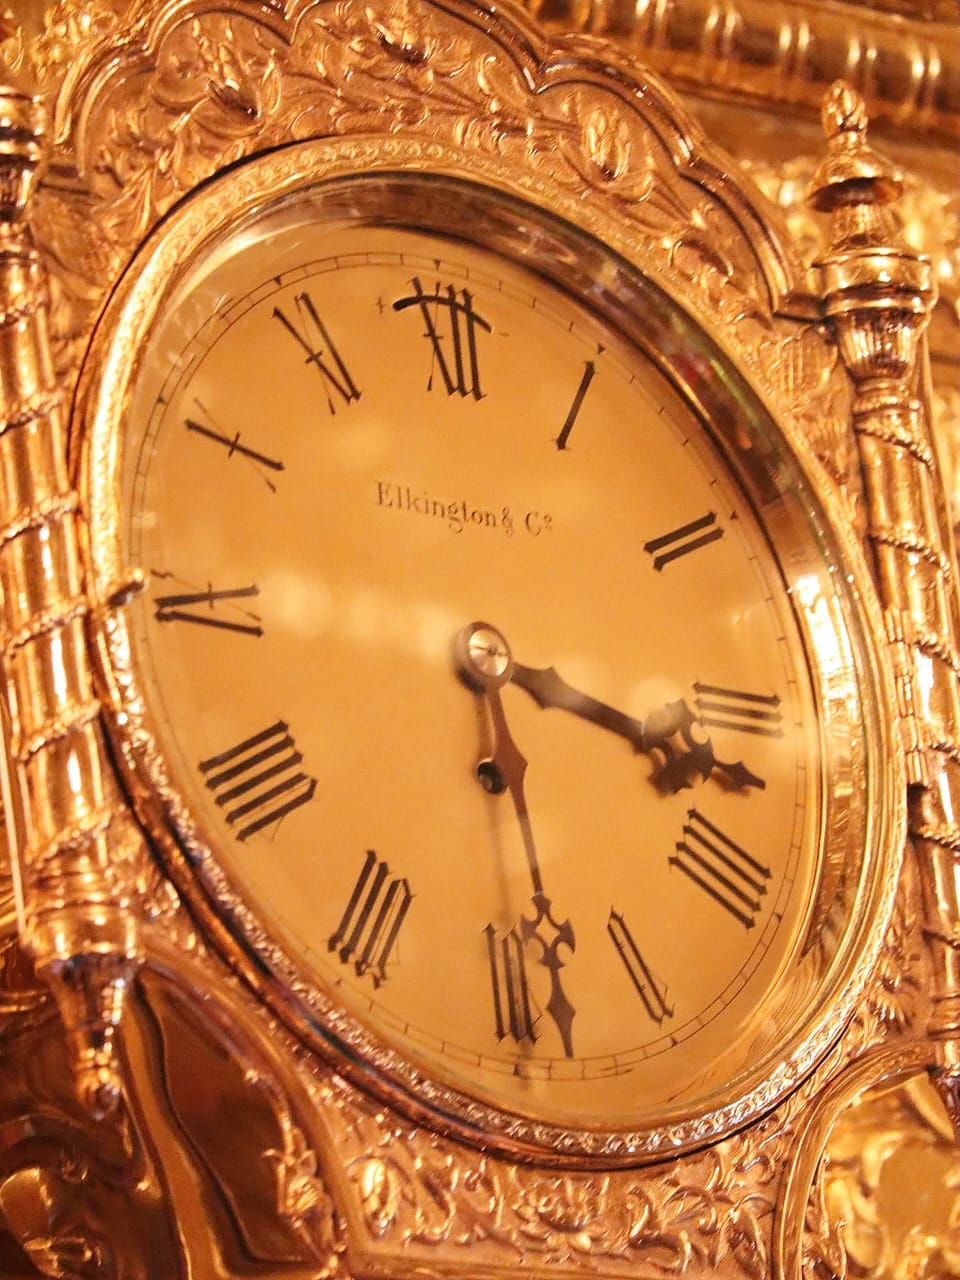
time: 3:28
